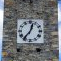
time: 12:36
